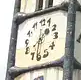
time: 1:31
